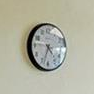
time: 4:33
